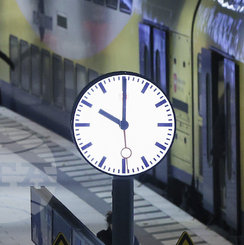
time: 10:00
